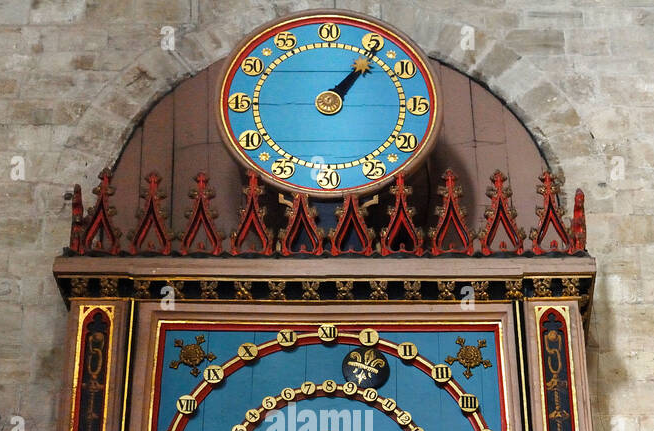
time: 1:06
